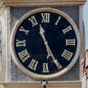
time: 11:25
